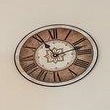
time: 11:11
